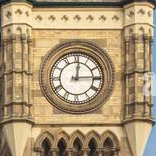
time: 12:14
